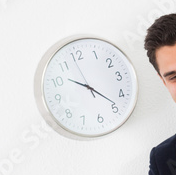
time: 10:23
